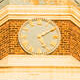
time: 5:09
